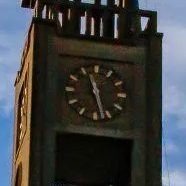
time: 11:27
